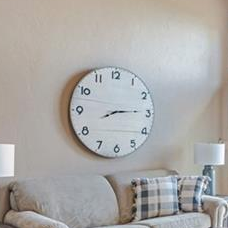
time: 8:14
